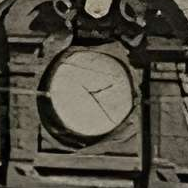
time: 2:23
